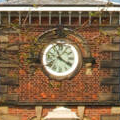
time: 11:20
